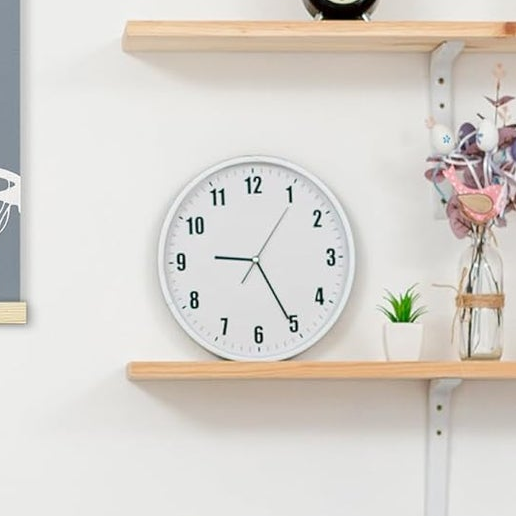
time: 9:25
